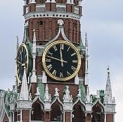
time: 11:47
